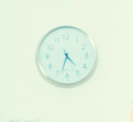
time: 4:33
